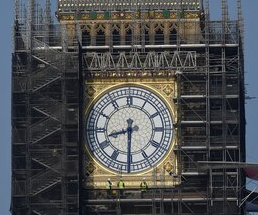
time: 8:30
